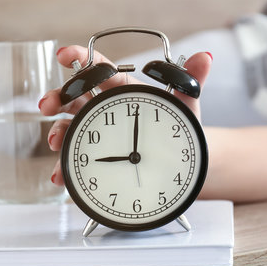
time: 9:01
